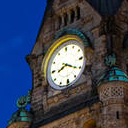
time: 8:20
